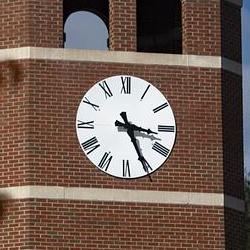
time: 3:25
